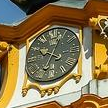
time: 10:03
